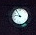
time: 10:46
